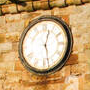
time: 12:28
